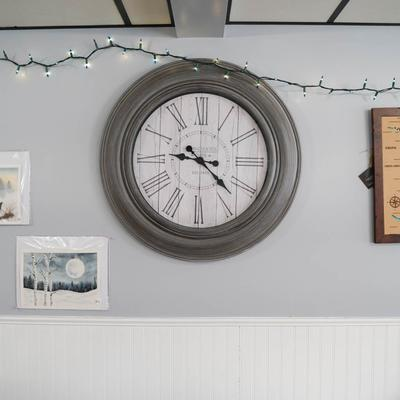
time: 9:22
